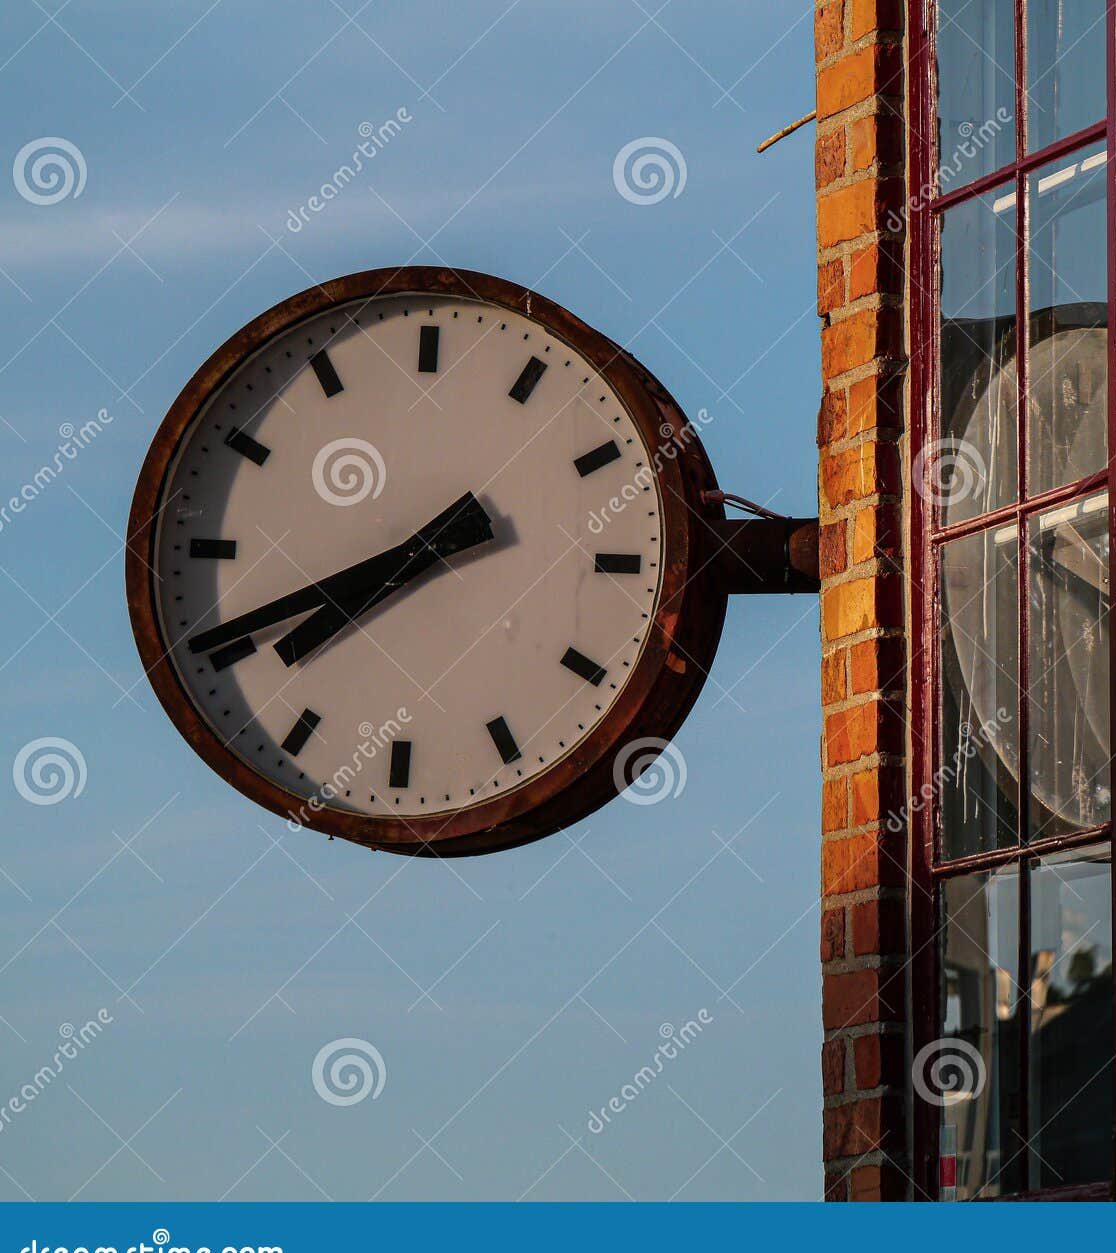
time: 7:40
